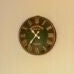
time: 10:36
